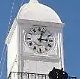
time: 3:02
